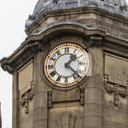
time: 1:22
